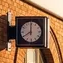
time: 7:59
